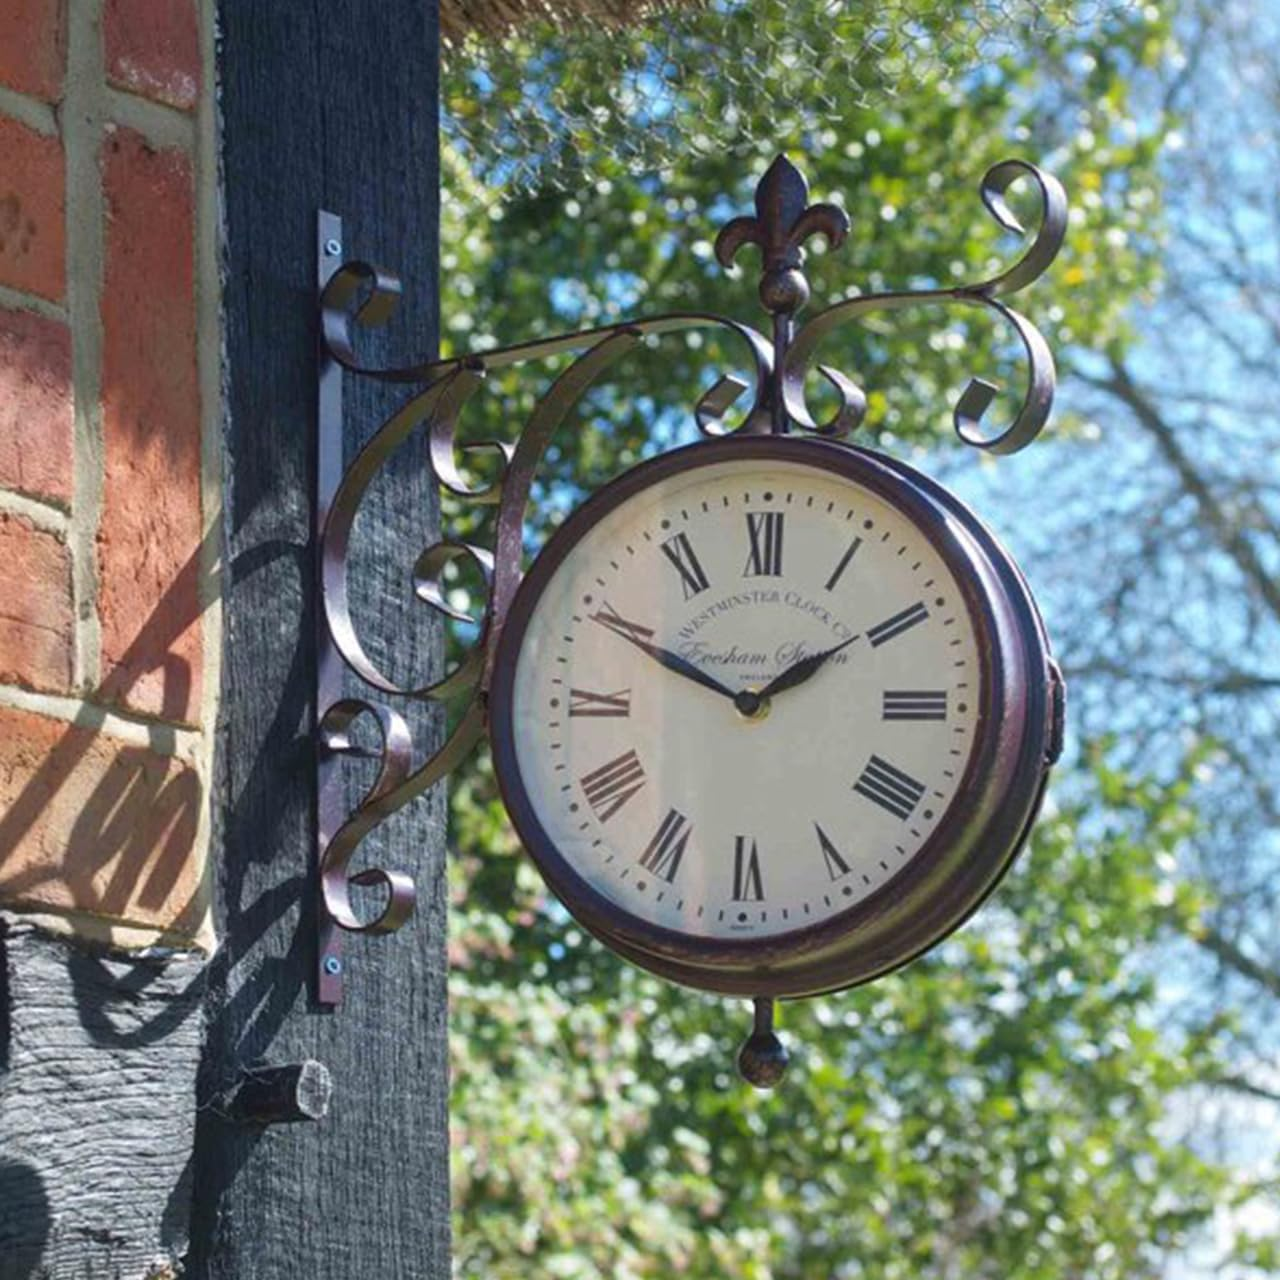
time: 1:49
